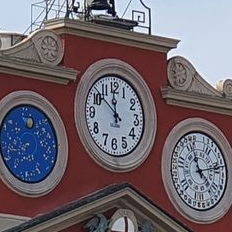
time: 11:51
